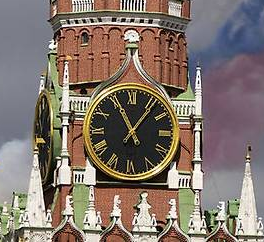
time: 11:06
